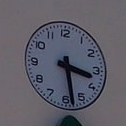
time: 3:28
